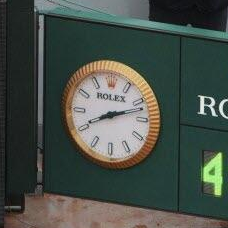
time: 8:12
